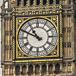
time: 10:49
